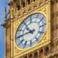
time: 10:45
